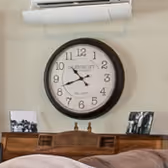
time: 10:41
